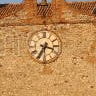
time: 3:34
